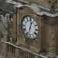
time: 12:32
